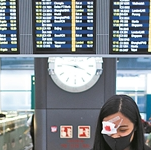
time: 3:47
